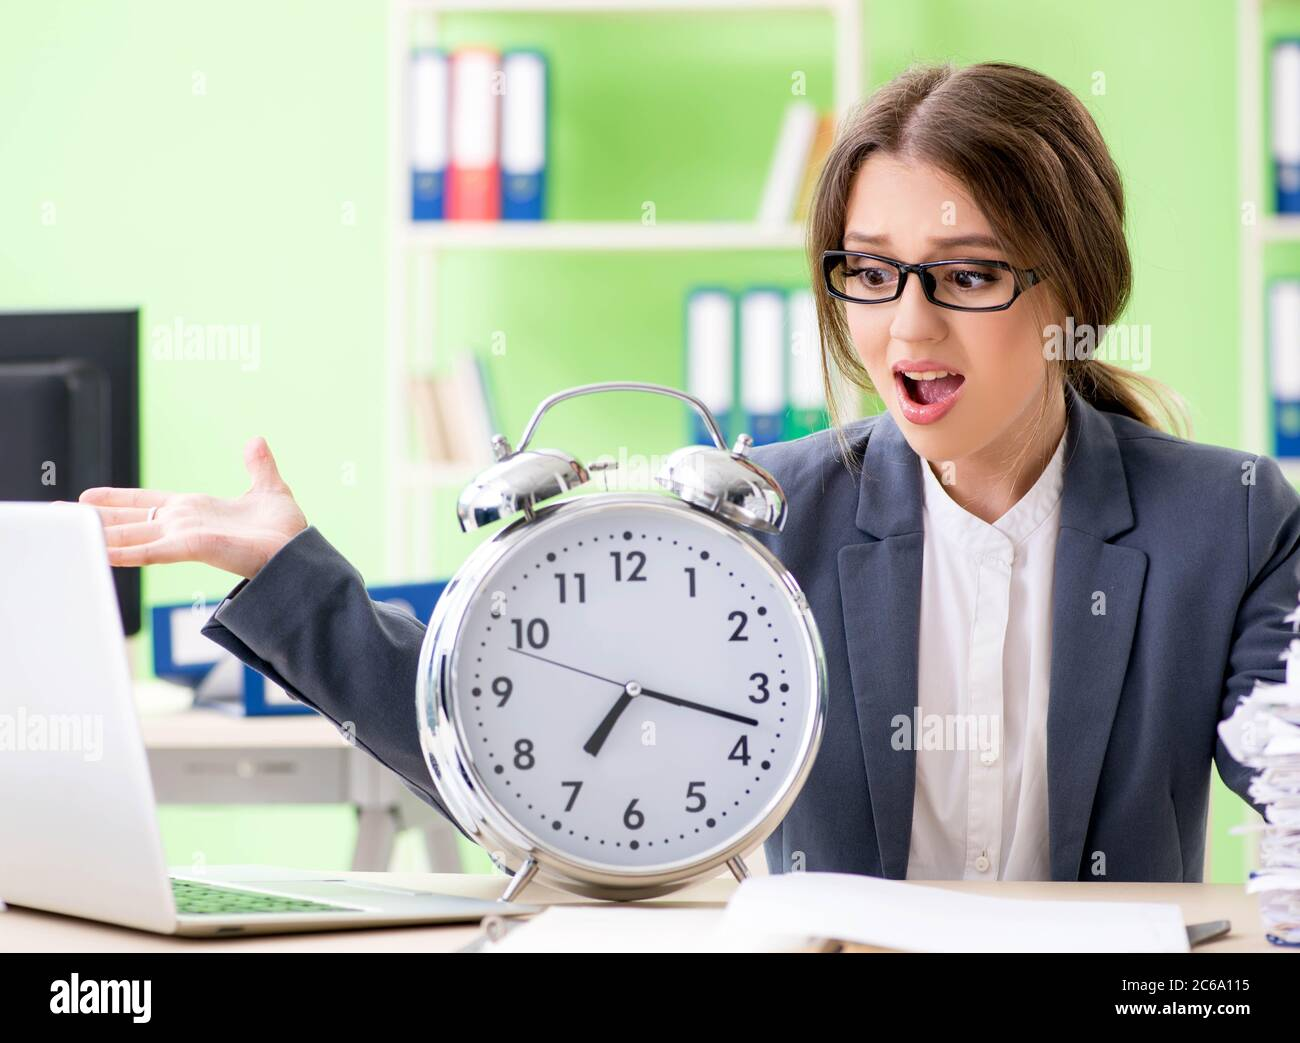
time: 7:17
